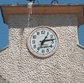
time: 1:13
